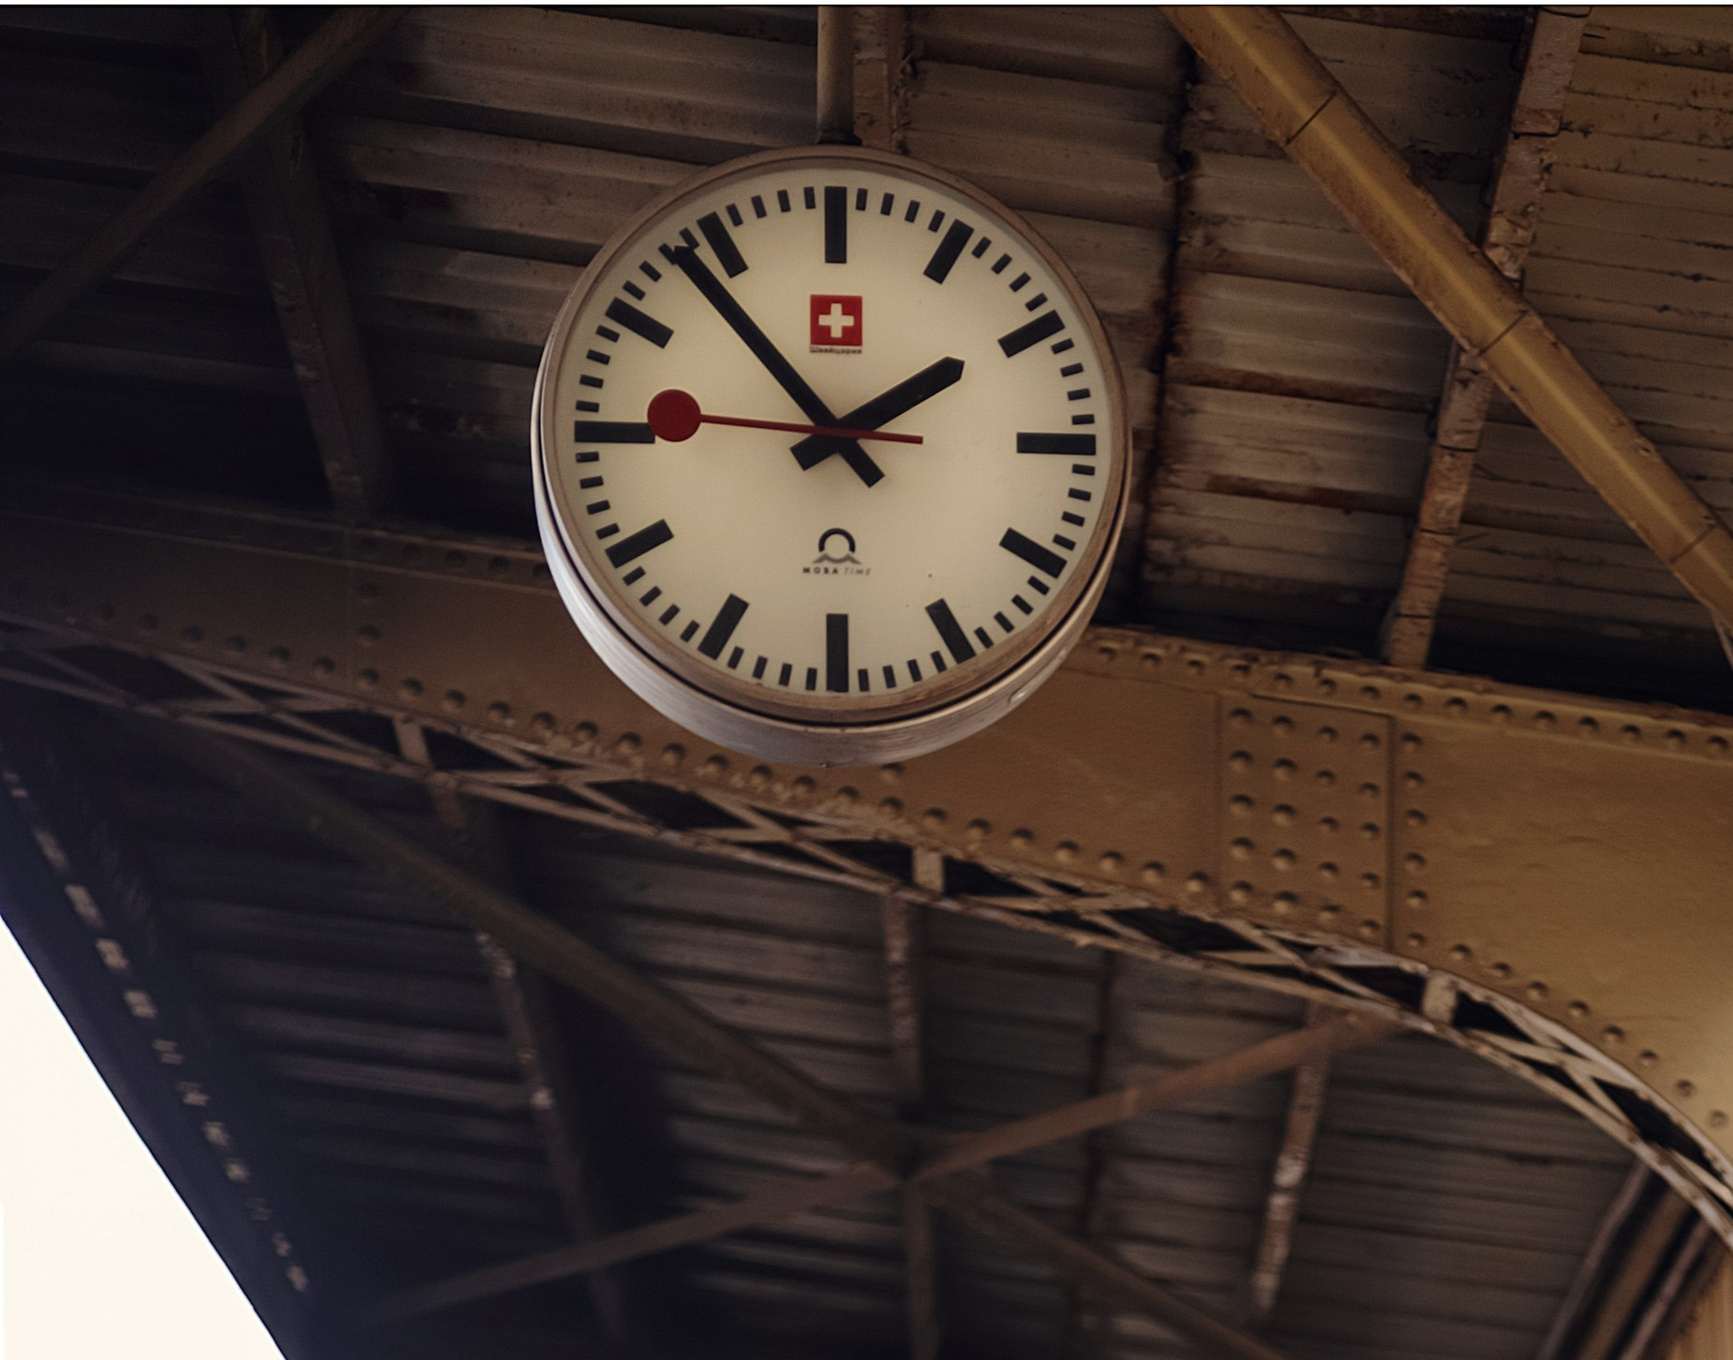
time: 1:53
